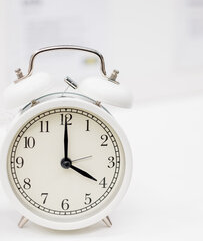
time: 4:00
